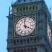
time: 3:58
